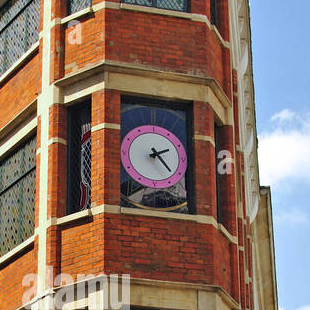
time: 2:22
